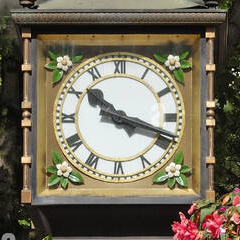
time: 10:18
